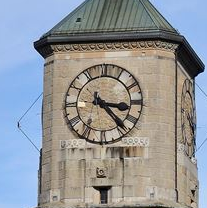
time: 3:22
